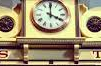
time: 4:00
